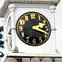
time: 2:18
